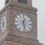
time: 12:27
